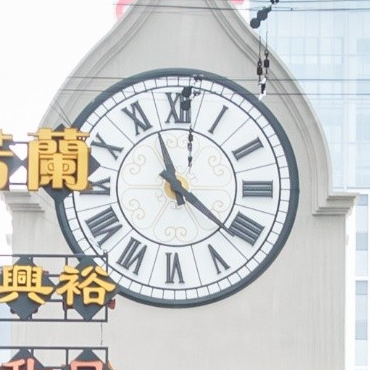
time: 11:21
